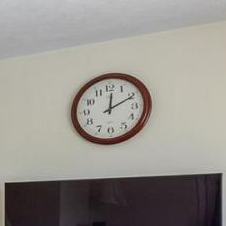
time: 12:10
